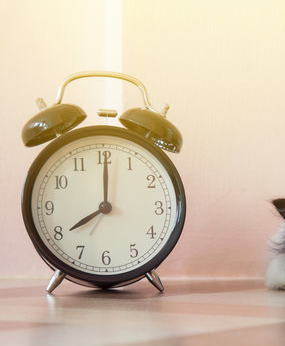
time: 8:00
